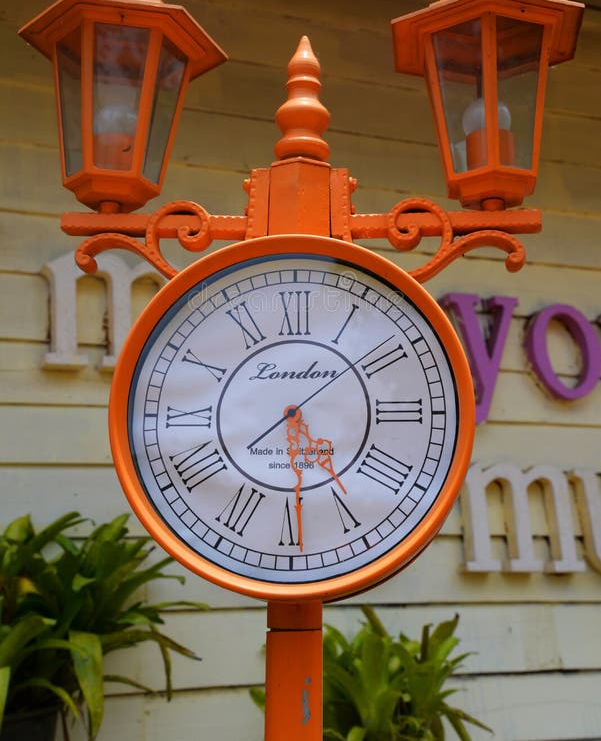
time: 4:29
